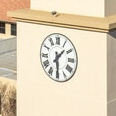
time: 1:29
